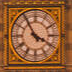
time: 3:54
